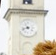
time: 10:42
